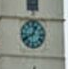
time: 12:40
